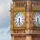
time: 6:28
